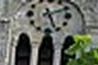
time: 5:11
